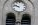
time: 9:47
